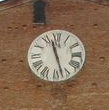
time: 11:27
